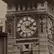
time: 2:21
